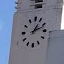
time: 1:11
